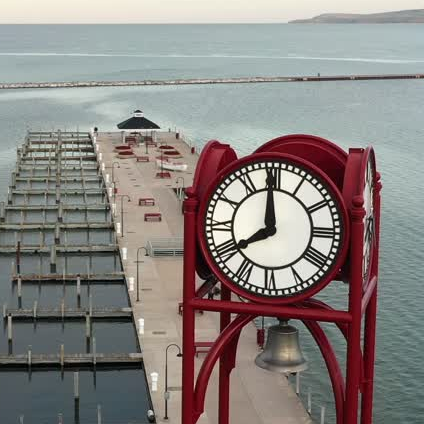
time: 7:59
